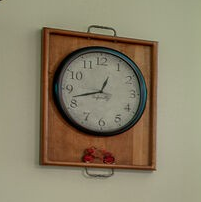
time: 12:42
